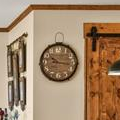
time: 10:16
